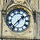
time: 1:37
